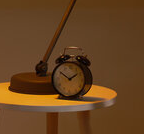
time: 1:50
